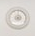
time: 9:01
